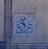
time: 9:56
